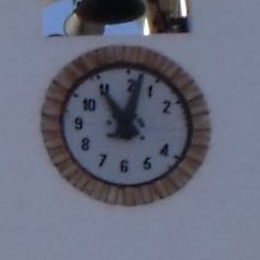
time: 11:02
